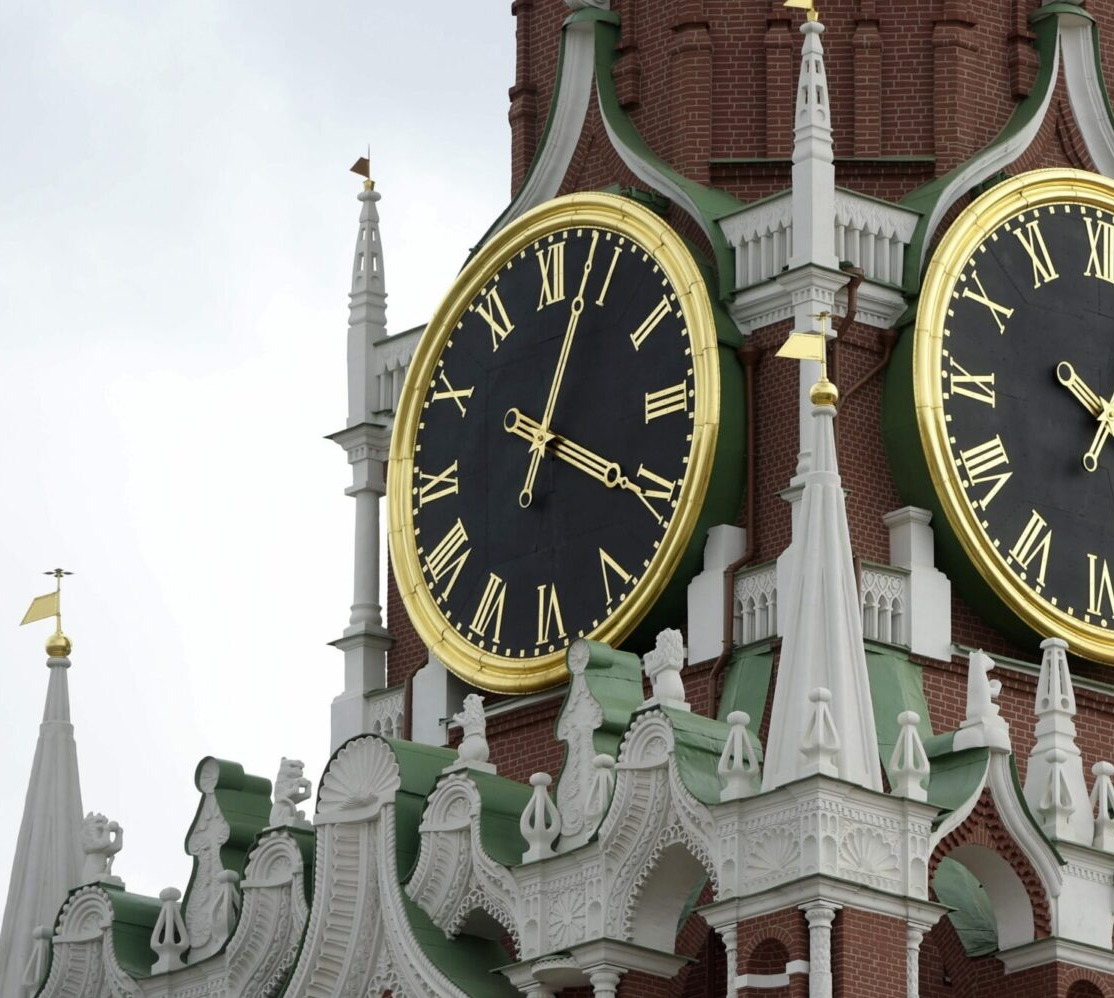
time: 4:03
